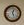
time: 12:26
